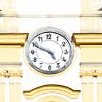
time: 4:49
